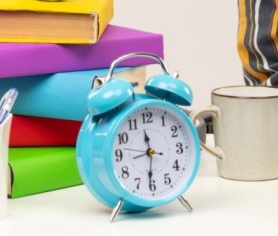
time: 11:31
